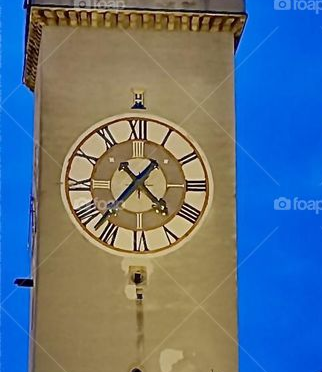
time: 4:37
